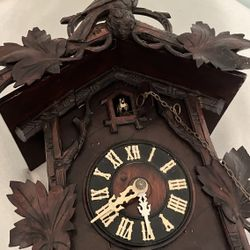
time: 5:40
